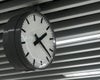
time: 2:23
